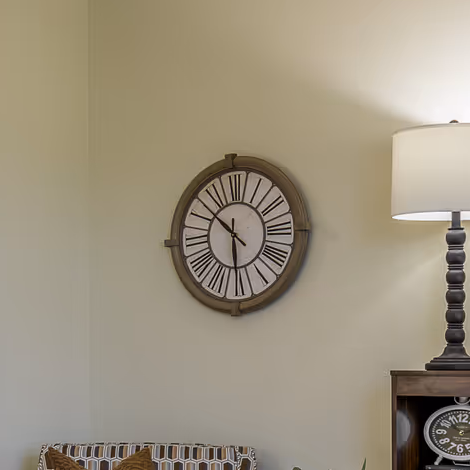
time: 5:51
